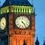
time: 4:23
